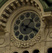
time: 1:18
